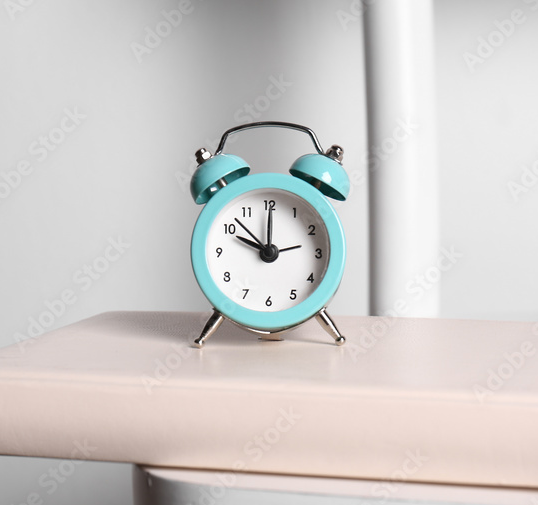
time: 10:00
